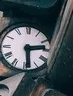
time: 2:29
